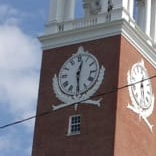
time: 12:29
